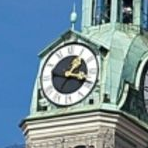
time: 1:18
